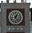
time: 12:23
